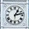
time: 1:13
